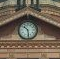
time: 10:28
